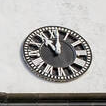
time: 11:01
